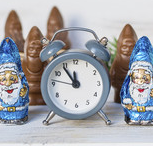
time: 11:54
